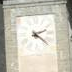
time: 2:21
